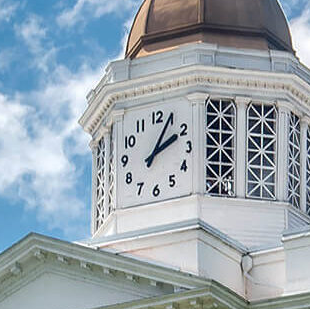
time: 2:04
